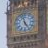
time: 4:57
